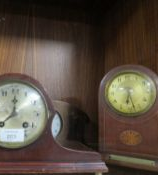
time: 6:27
